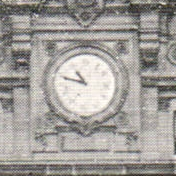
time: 10:47
